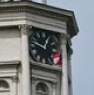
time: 12:47
